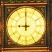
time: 8:59
